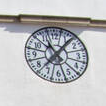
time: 11:07
